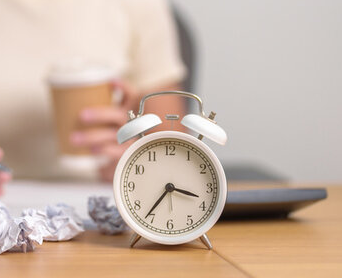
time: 3:36
